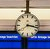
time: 3:17
